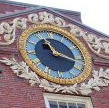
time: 11:17
